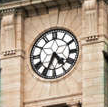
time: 4:34
